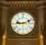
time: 9:11
